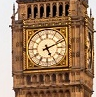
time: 5:11
